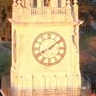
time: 8:08
